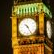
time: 10:25
